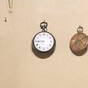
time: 8:45
